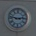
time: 2:46
